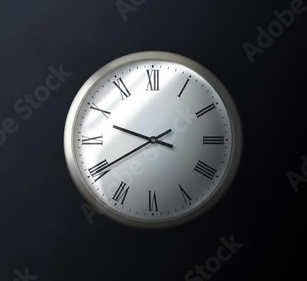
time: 9:40
